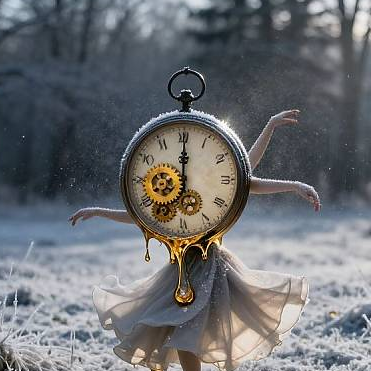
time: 12:00
